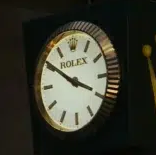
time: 3:50
